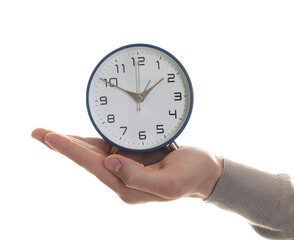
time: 1:50
